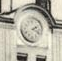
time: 2:18
